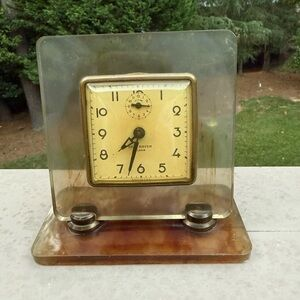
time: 7:32
